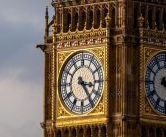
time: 3:24
